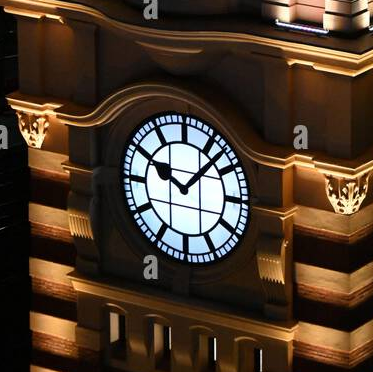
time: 10:07
